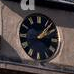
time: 2:07
